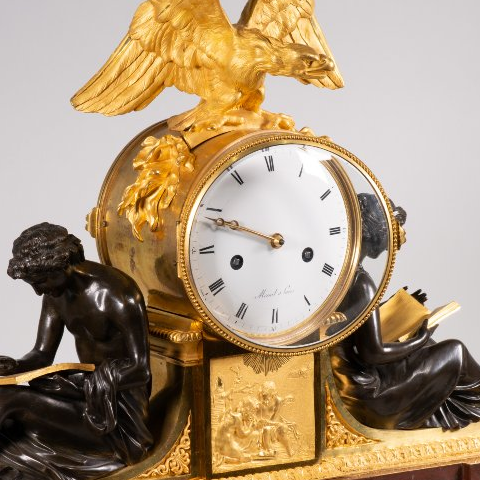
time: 9:48
